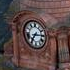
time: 7:14
